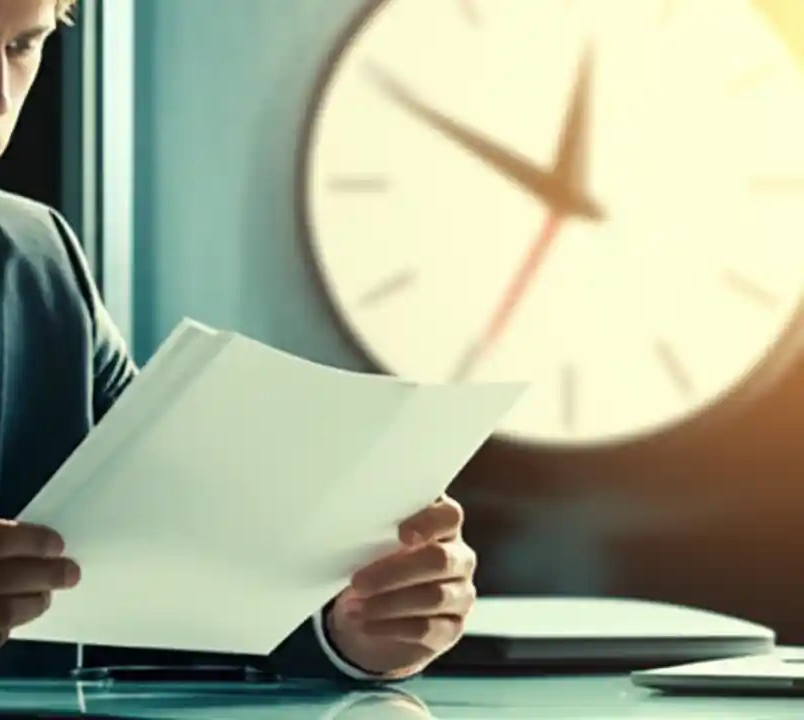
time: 10:01
